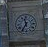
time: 11:35
